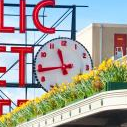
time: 11:44
